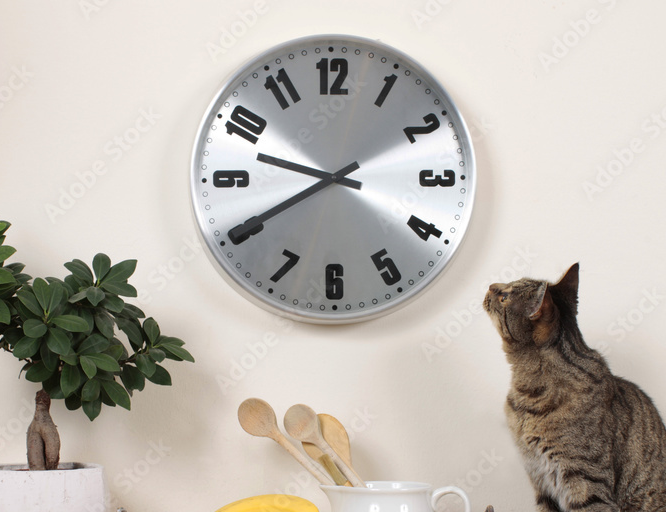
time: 9:40
